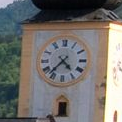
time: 4:37
